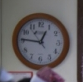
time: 12:45
